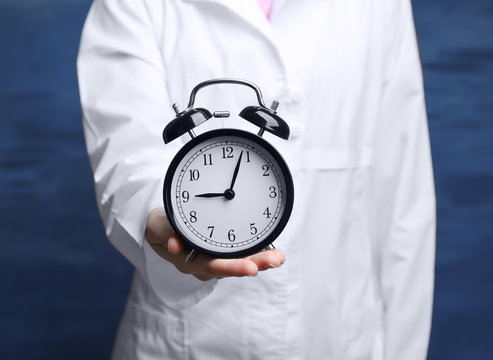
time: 9:03
